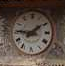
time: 1:46
